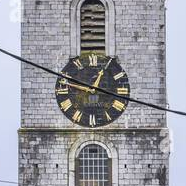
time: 12:48
